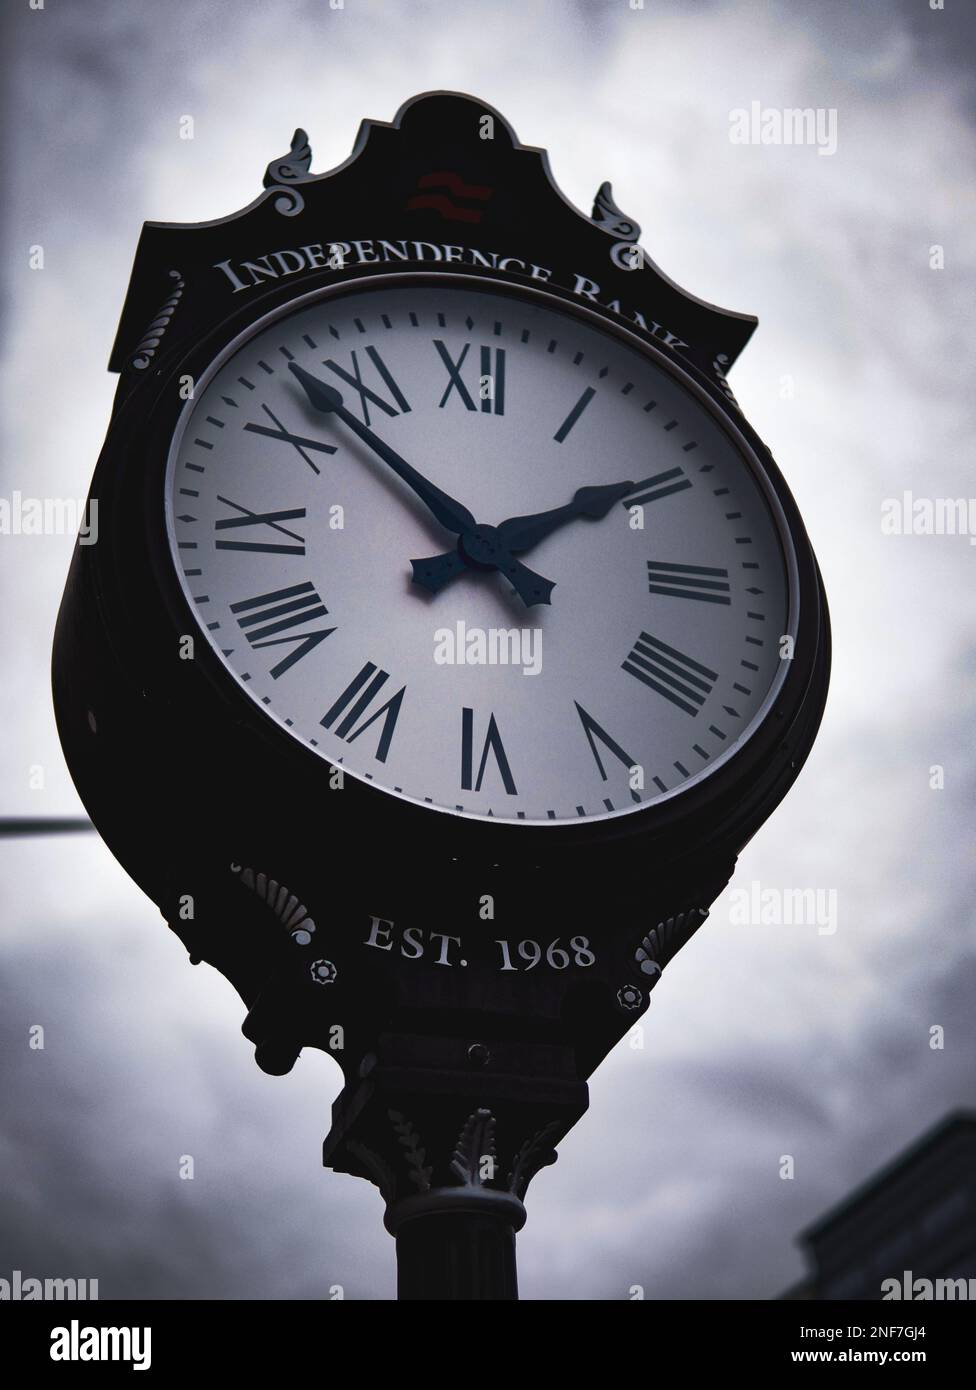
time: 1:52
